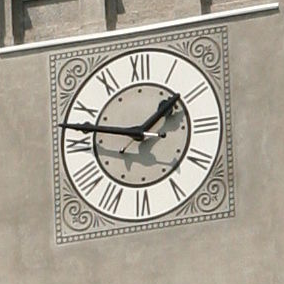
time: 1:47
